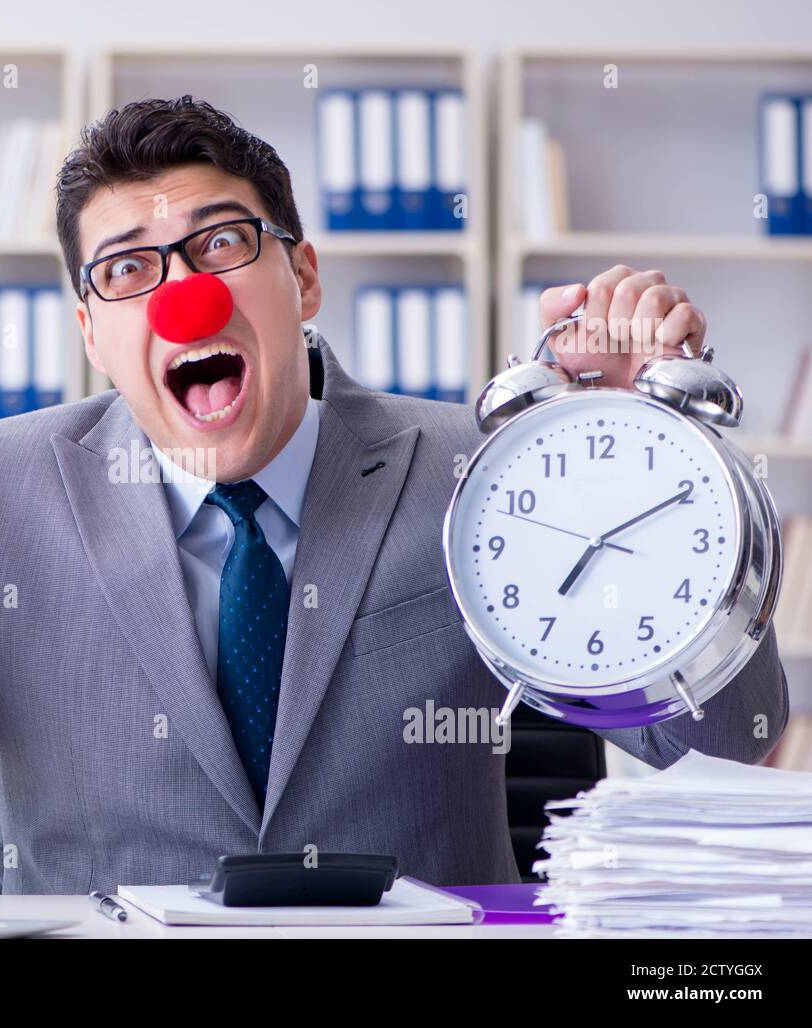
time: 7:10
